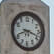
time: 8:18
